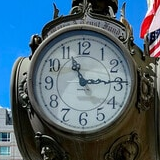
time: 11:14
